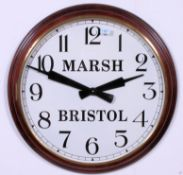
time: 2:11
